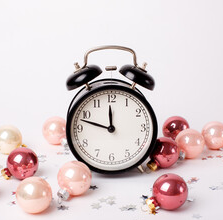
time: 11:47
